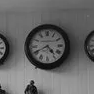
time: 4:40
